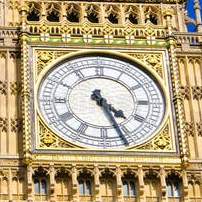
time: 4:26
